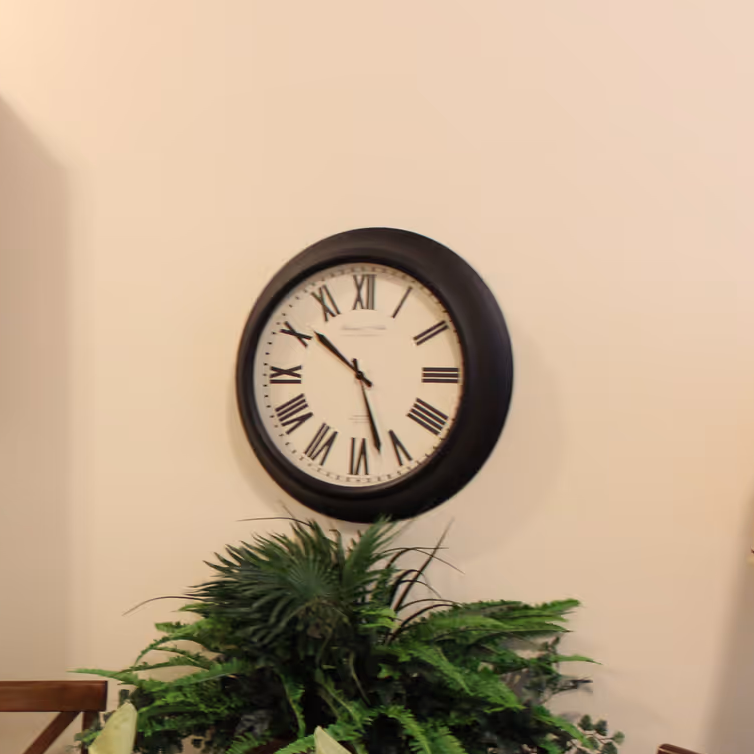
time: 10:27
